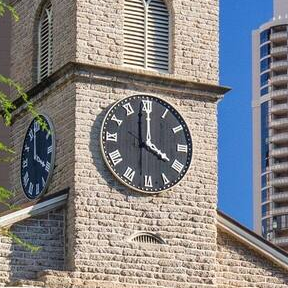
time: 4:00
